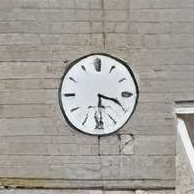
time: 3:29
